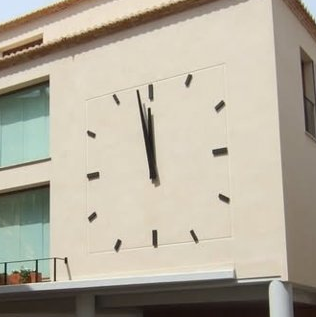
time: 11:58
